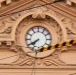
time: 7:39
